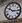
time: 10:15
